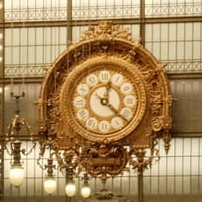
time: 12:22
